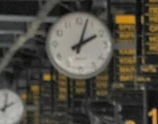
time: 2:03
